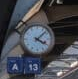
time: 4:07
